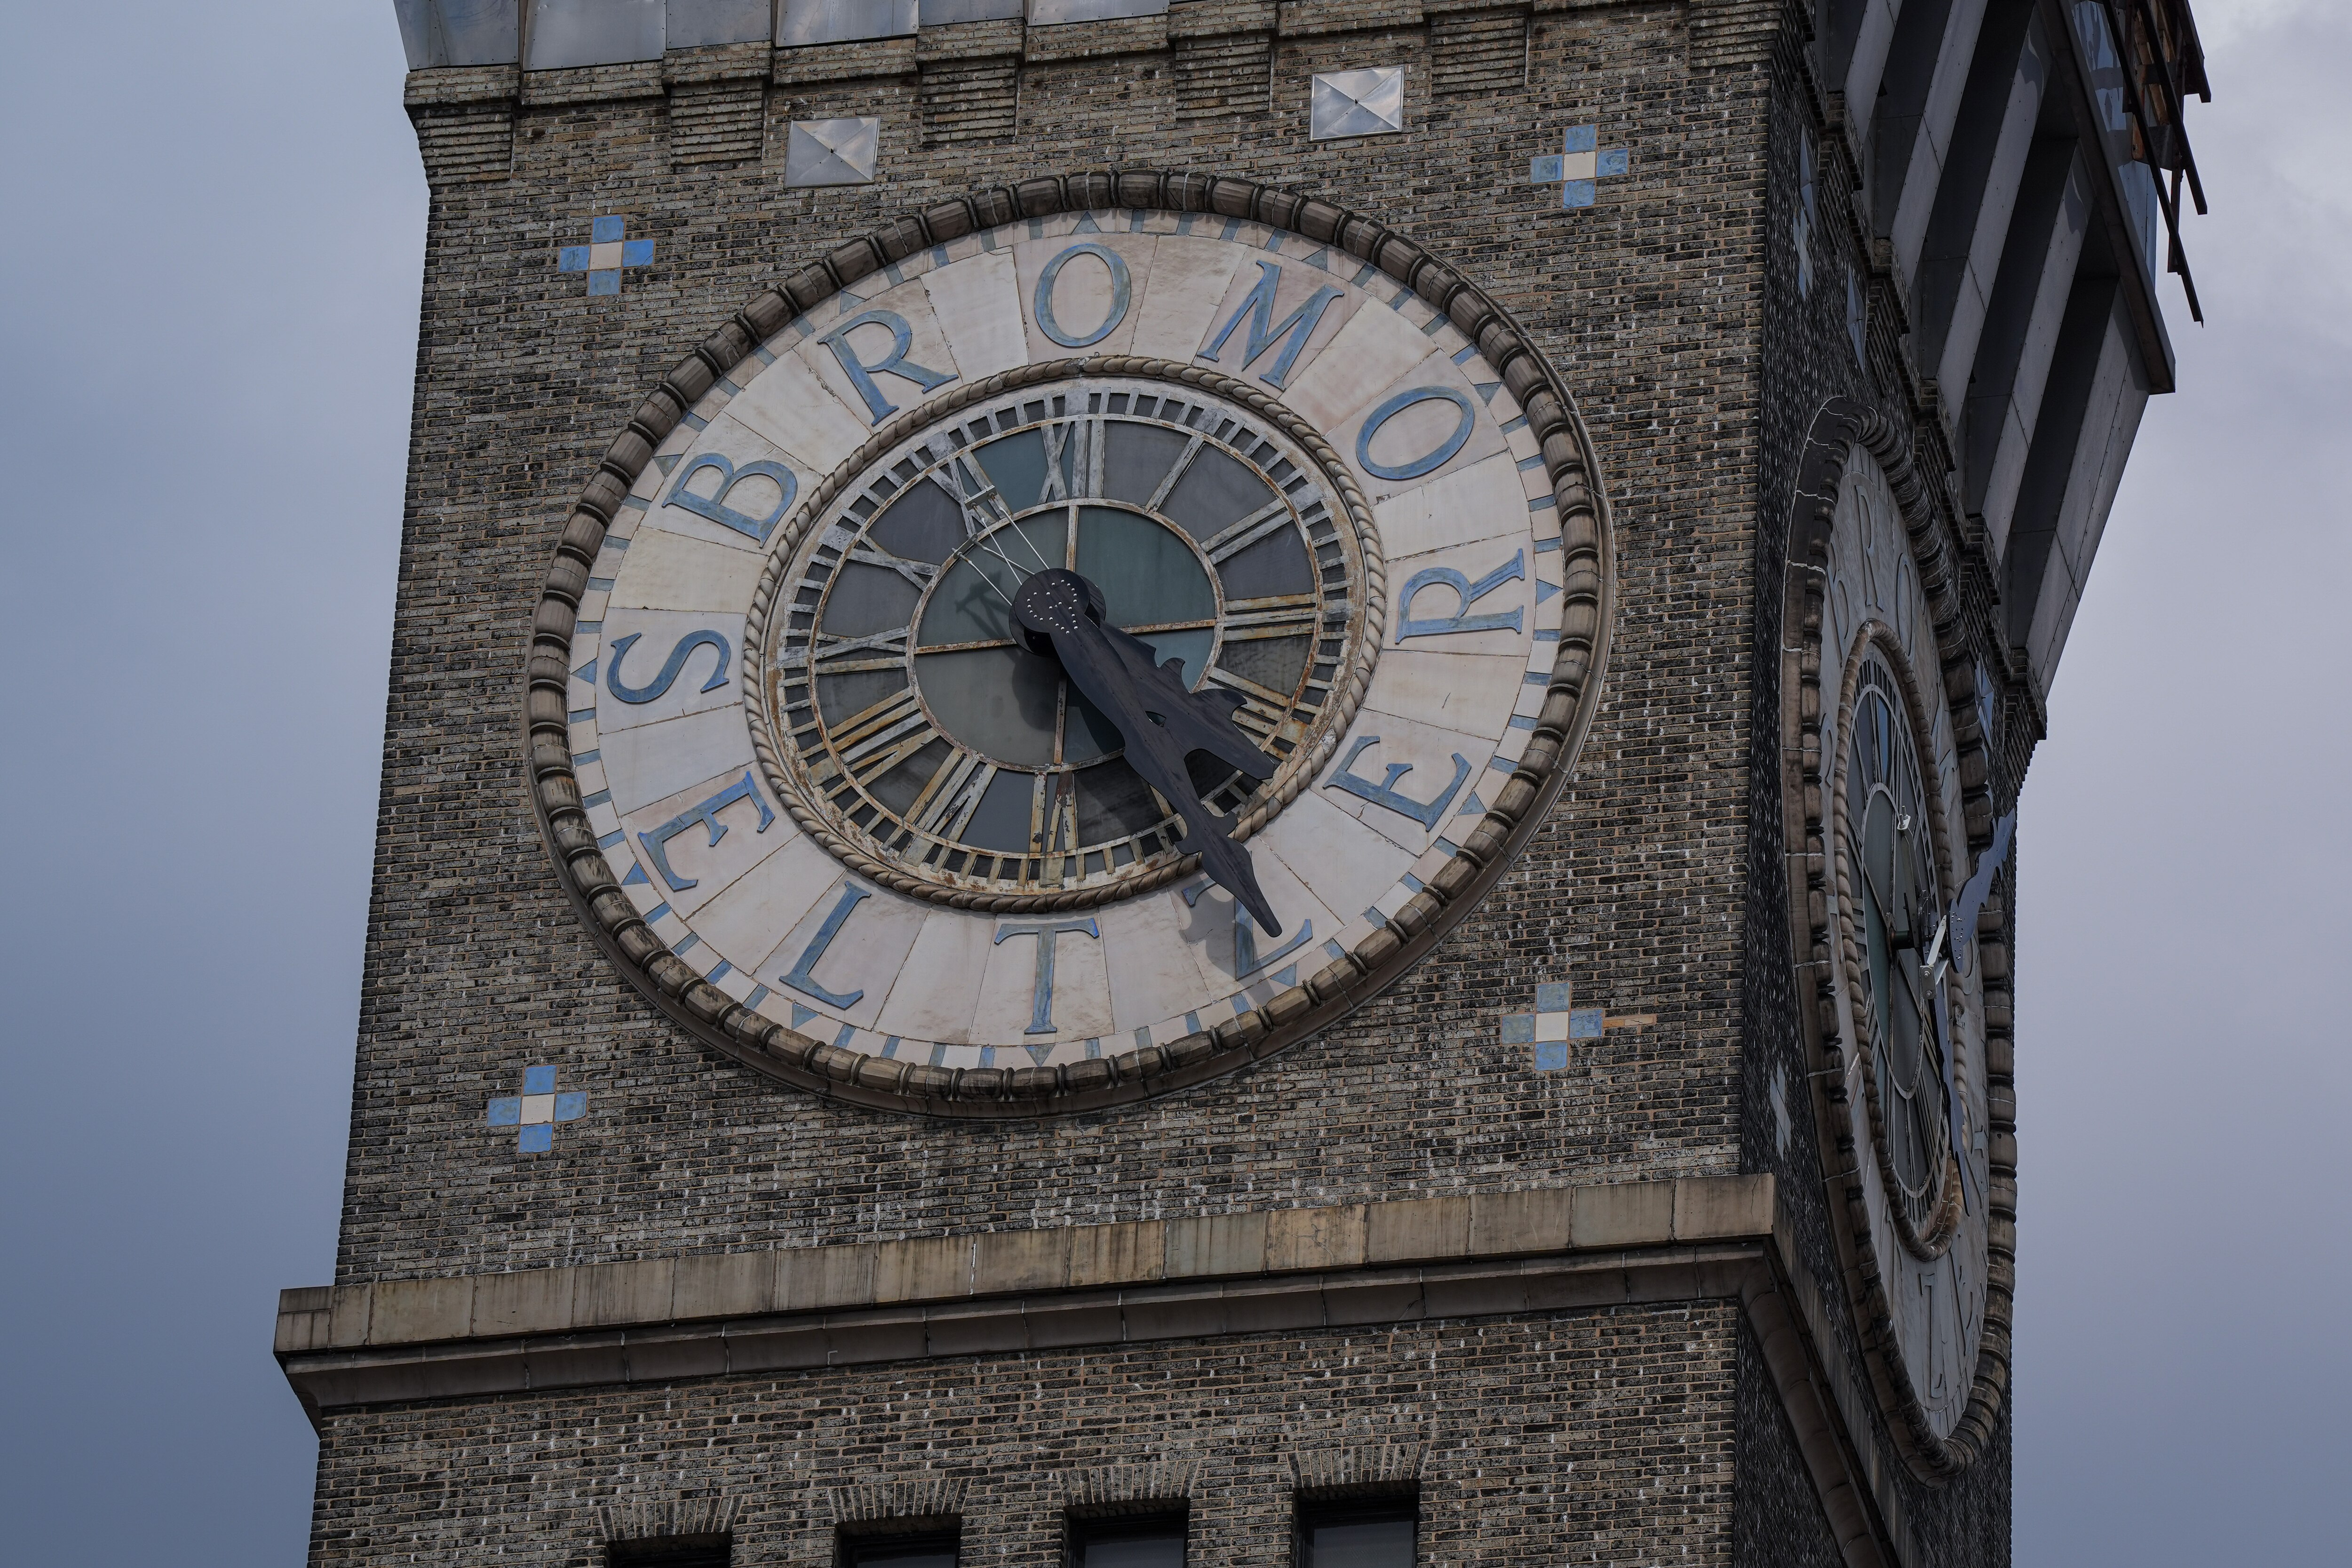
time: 5:24
